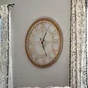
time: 12:26
